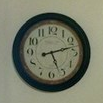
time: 5:12
